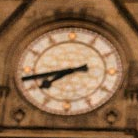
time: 7:42
